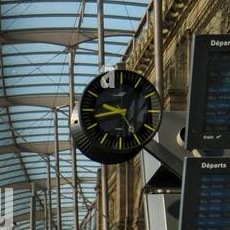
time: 9:42
